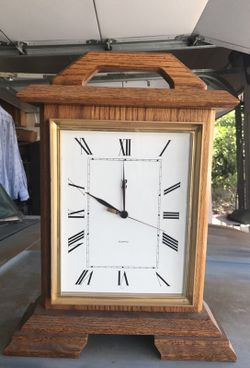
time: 11:49
